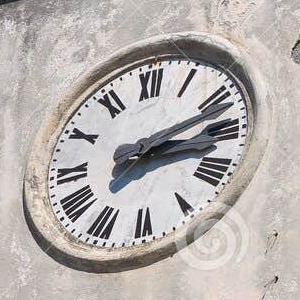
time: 3:12
